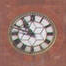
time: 10:47
